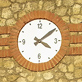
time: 4:08
